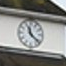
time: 11:21
